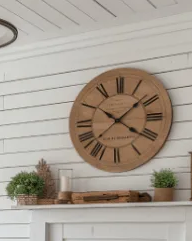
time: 4:08
